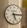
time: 5:14
